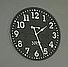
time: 1:26
